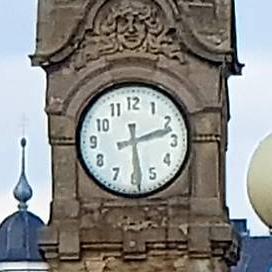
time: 2:29
